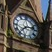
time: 7:13
